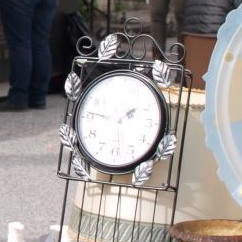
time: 1:46
